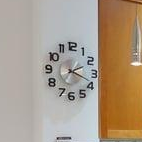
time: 2:18
